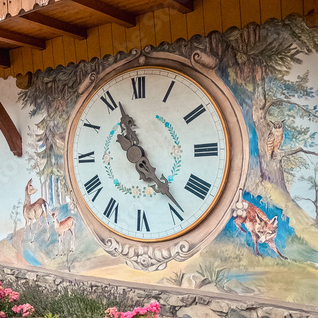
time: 11:23
